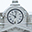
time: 10:02
